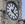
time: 4:04
